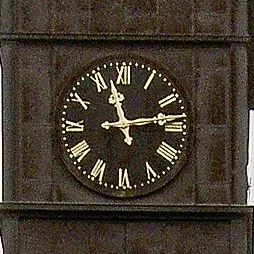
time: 11:13
